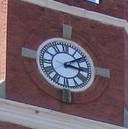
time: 3:09
